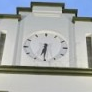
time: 6:30
